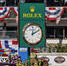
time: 12:10
